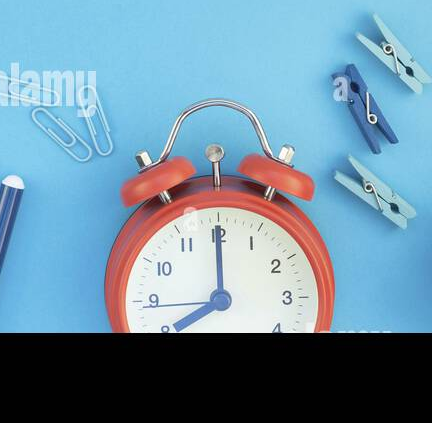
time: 7:59
